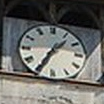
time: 1:34
